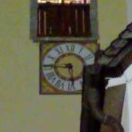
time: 5:45
